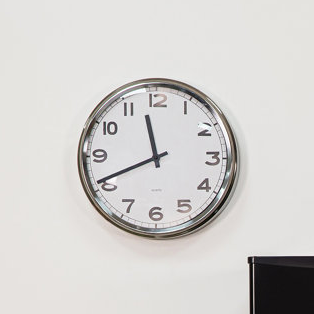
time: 11:40
